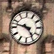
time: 4:47
